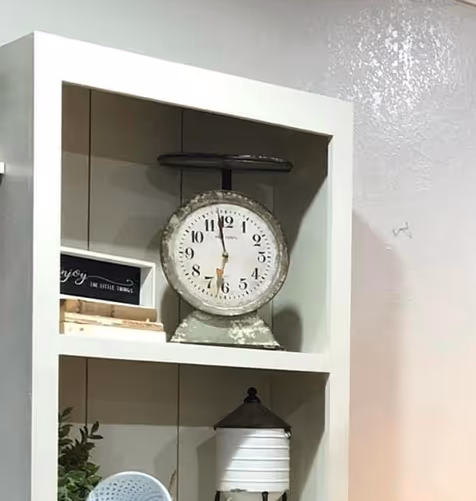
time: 11:32
